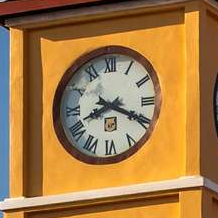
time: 8:19
